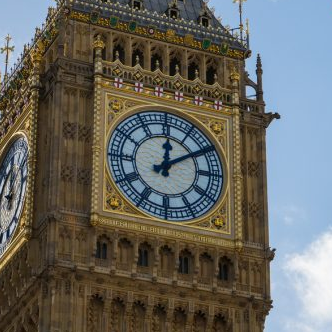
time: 12:09
